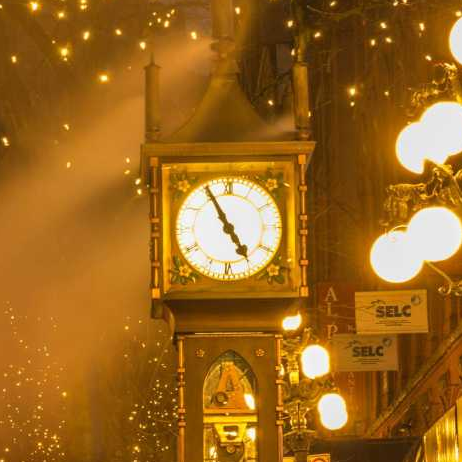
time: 4:55
